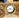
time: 3:42
